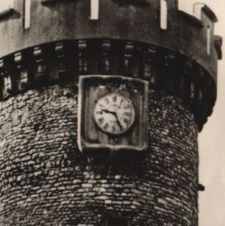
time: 9:25
